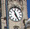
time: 11:25
